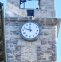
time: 11:47
